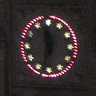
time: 11:32
